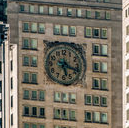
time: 5:18
